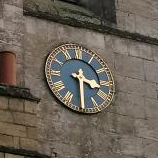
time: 3:29
